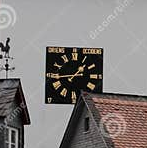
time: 1:44
